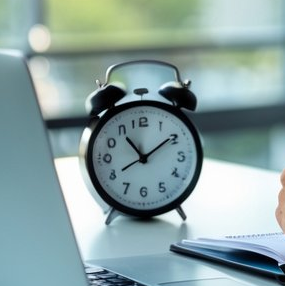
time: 11:09
